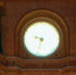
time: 9:33
